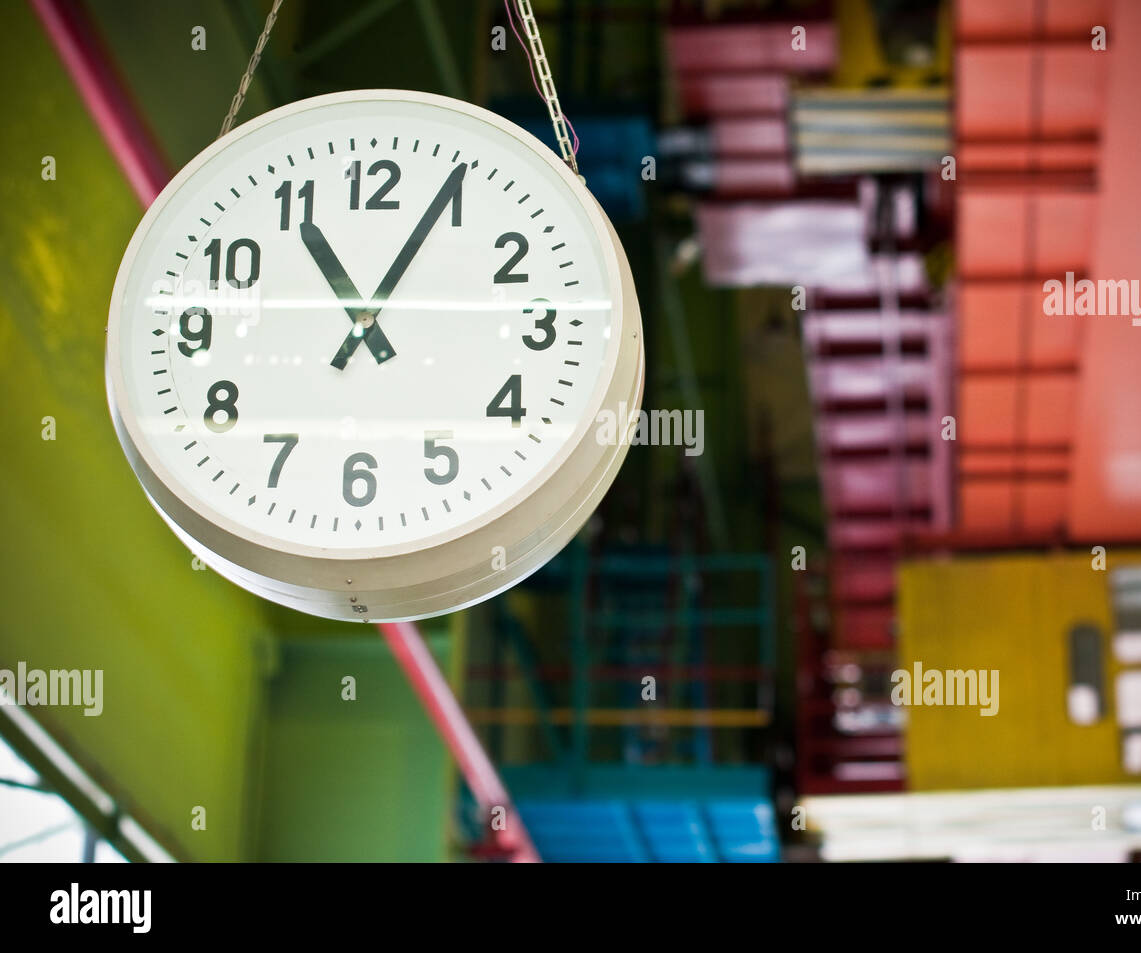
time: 11:04
